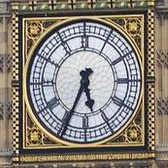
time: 5:34
